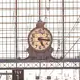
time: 5:15
